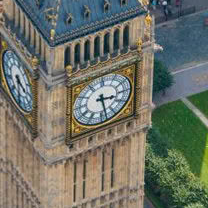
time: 3:28
